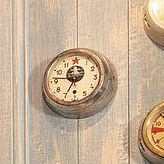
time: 6:46
